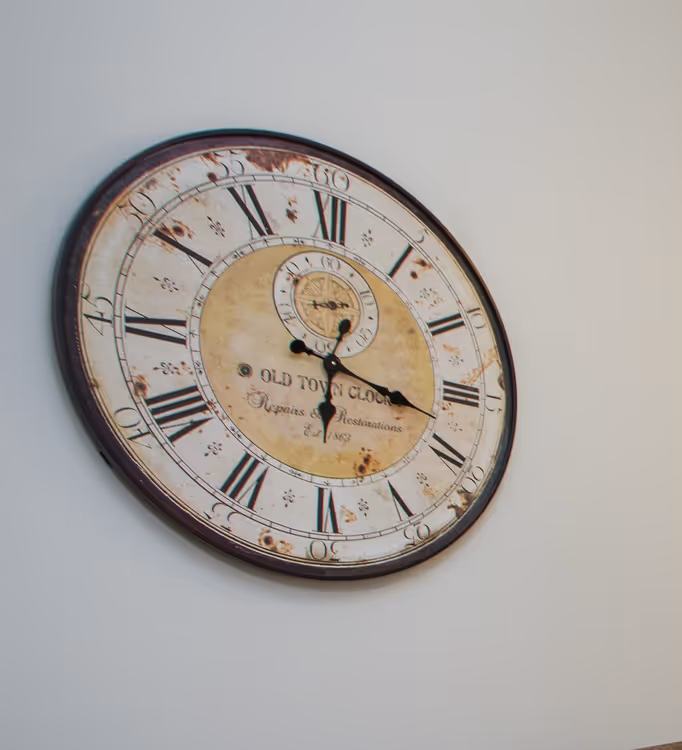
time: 6:17
